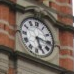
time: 5:15
